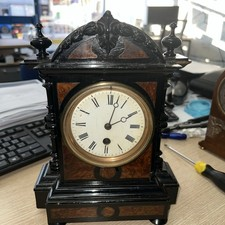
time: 2:02
